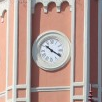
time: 10:19
